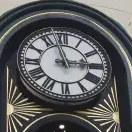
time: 2:57
